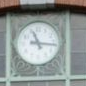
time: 11:16
